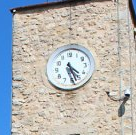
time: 4:27
